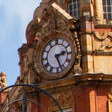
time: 2:26
